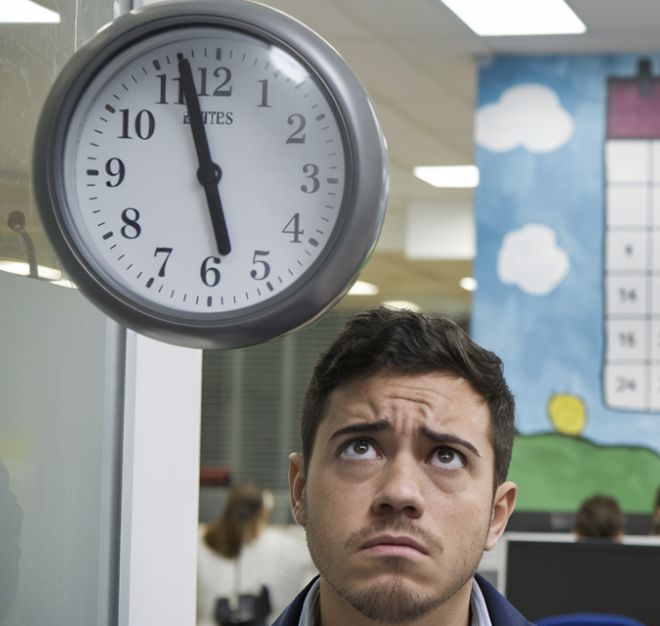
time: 5:57
